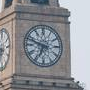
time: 6:47
